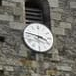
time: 3:47
